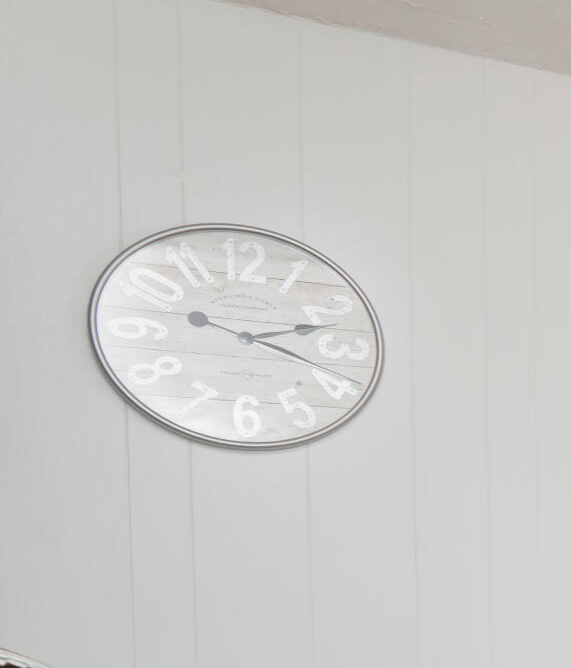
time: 2:18
